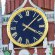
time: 4:07
